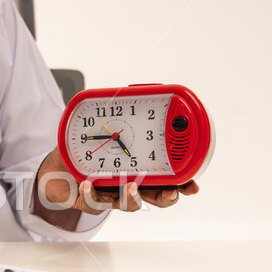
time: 4:45
